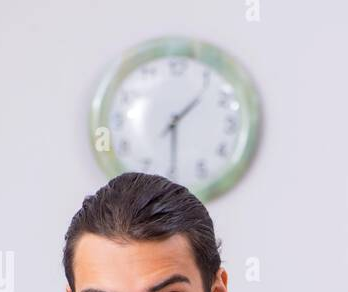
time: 1:29
